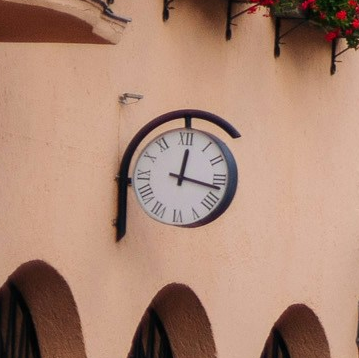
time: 12:16
